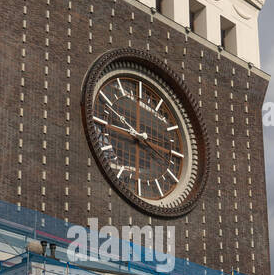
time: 9:44
